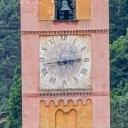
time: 2:43
